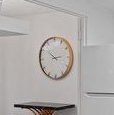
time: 2:50
